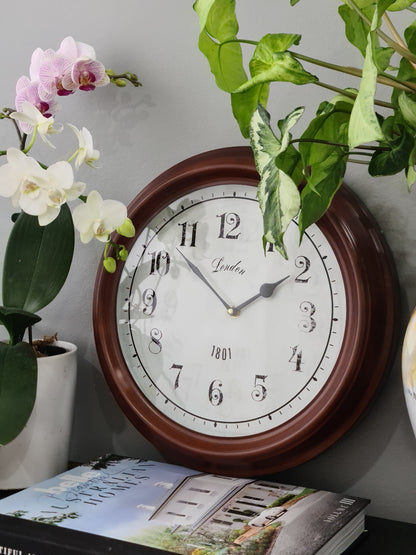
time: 1:52
